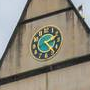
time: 2:22
